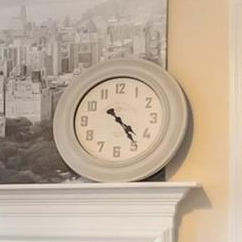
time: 4:23
